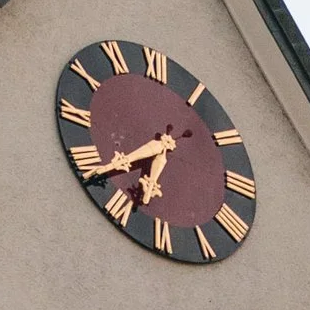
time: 6:38
